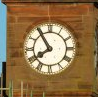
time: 7:54
